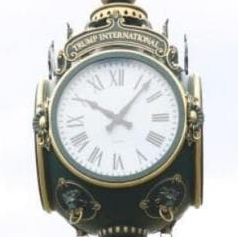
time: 10:06
